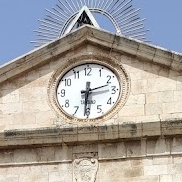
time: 2:30
